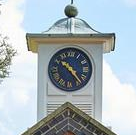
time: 10:23
